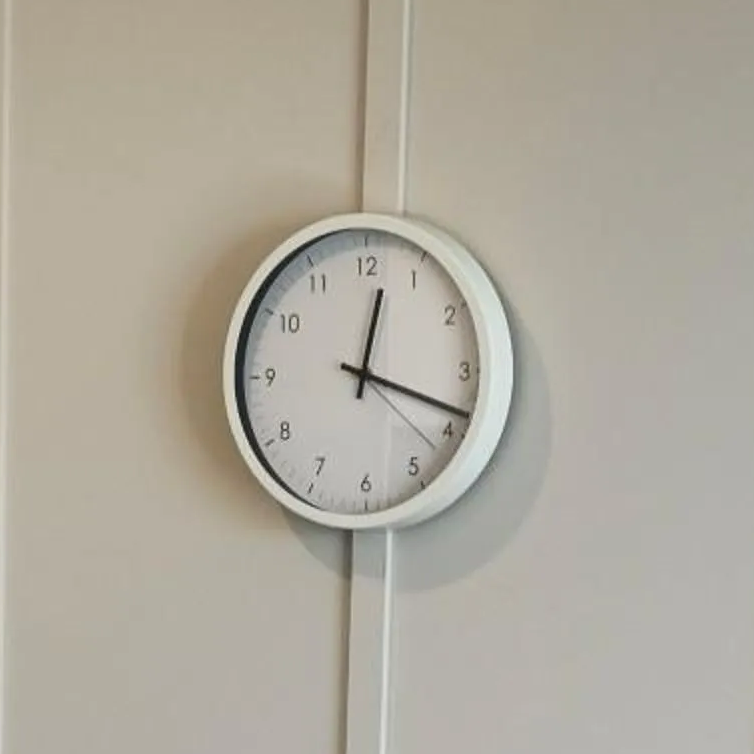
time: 12:18
